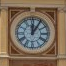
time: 12:05
